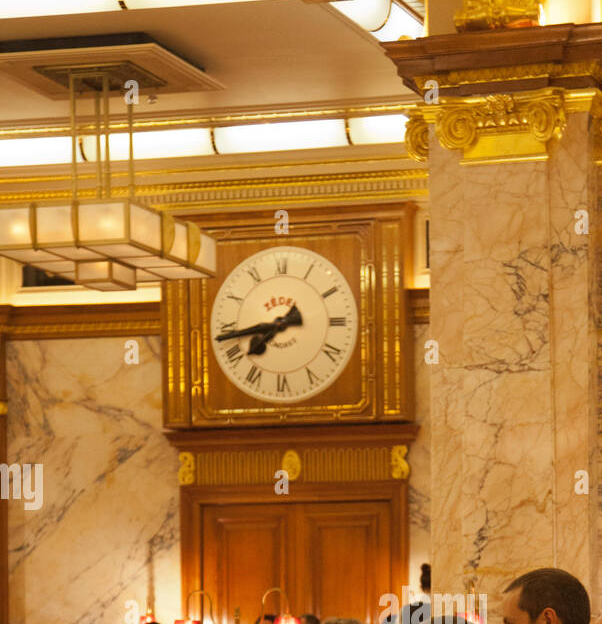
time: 7:43
